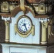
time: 8:26
